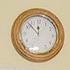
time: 11:52
